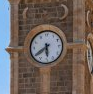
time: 5:39
